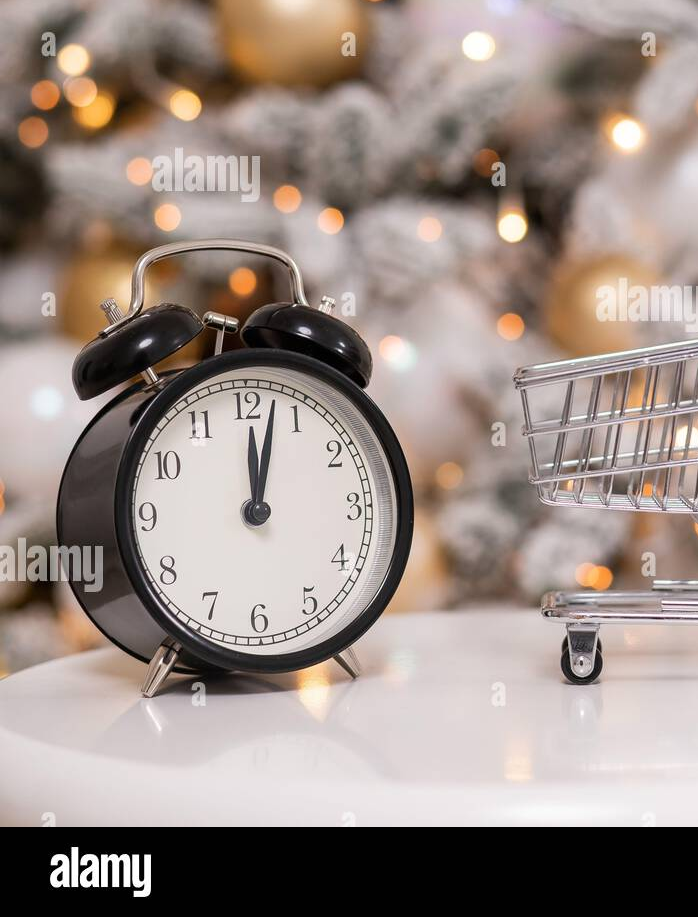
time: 12:02
